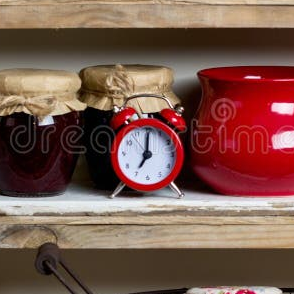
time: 7:01
